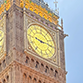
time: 9:14
